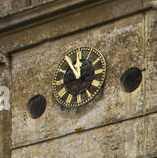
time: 11:54
